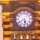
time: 5:40
